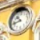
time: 10:42
